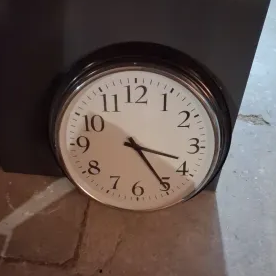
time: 3:24
